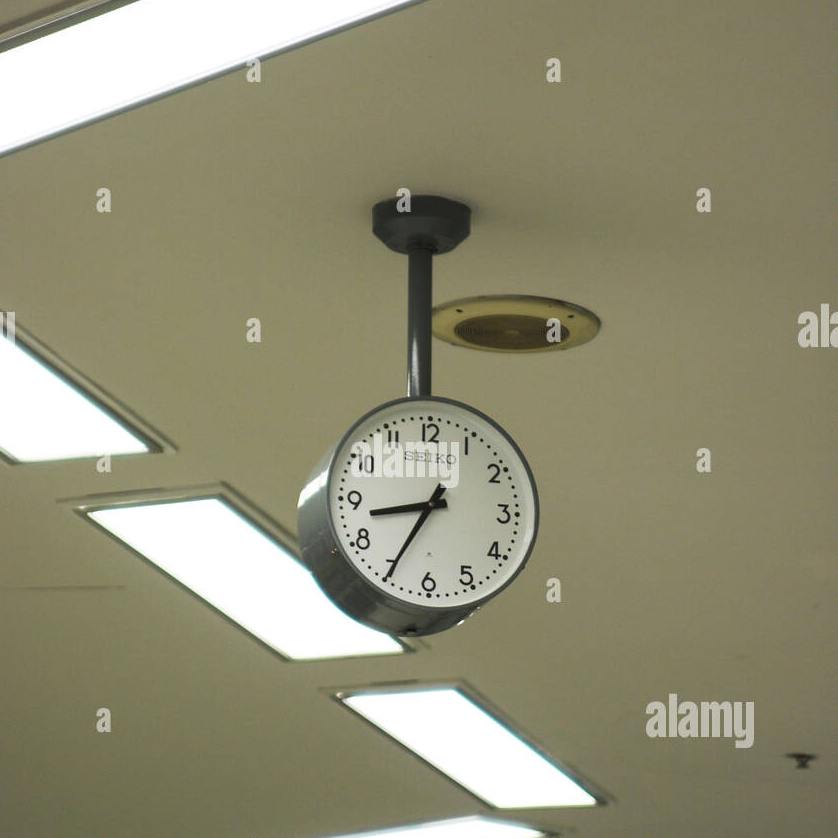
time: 8:34
